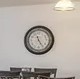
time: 11:24
